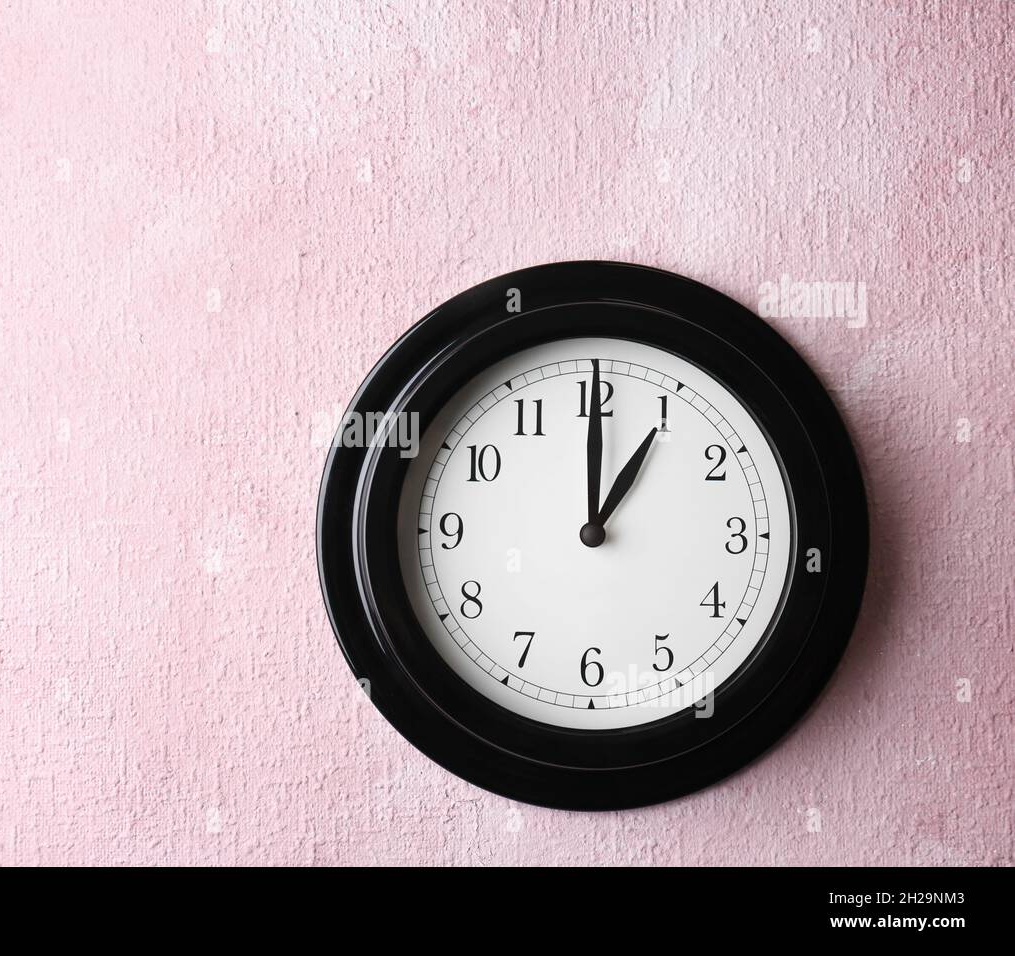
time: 1:00
